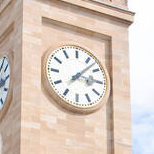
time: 3:07
